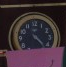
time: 4:23
